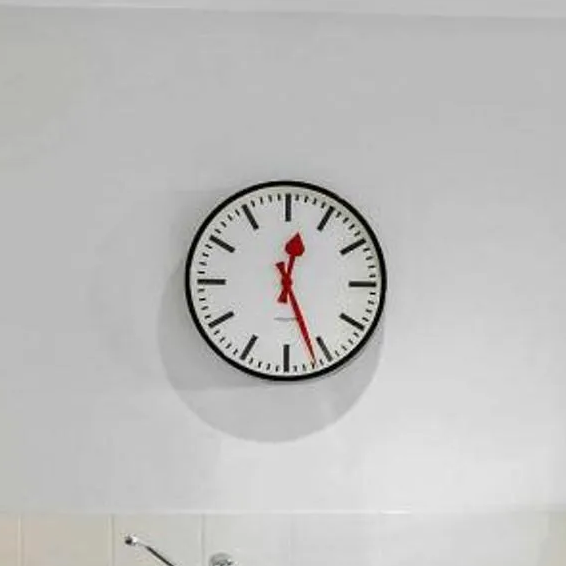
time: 12:26
